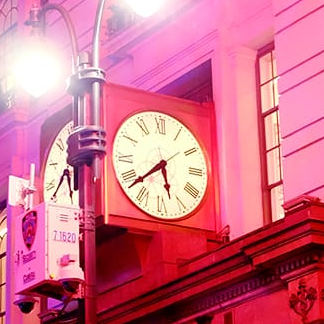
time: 5:38
